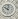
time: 10:02
